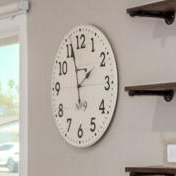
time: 1:56
